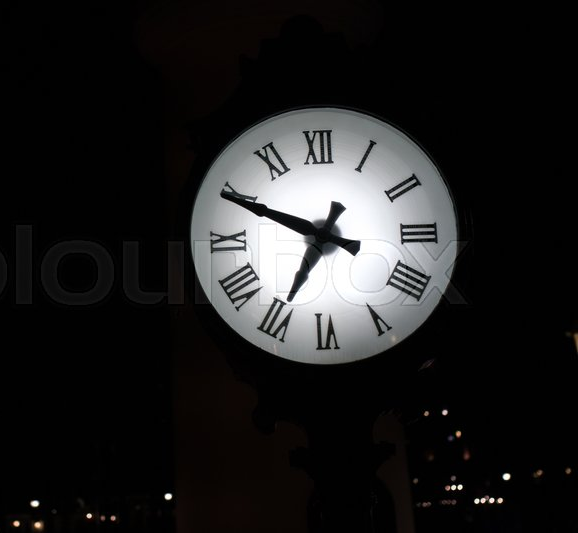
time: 6:49
